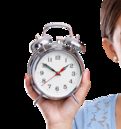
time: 1:50
